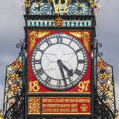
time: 4:27
